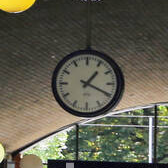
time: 1:19
